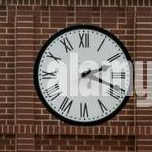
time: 2:18
